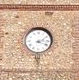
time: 2:18
